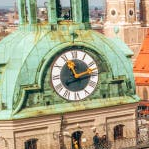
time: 11:12
